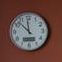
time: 11:52
